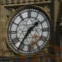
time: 1:36
